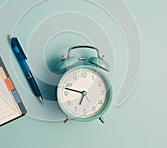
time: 6:47
